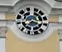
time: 7:17
